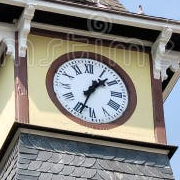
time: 1:33
